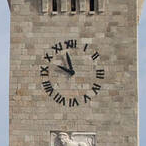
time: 9:57
